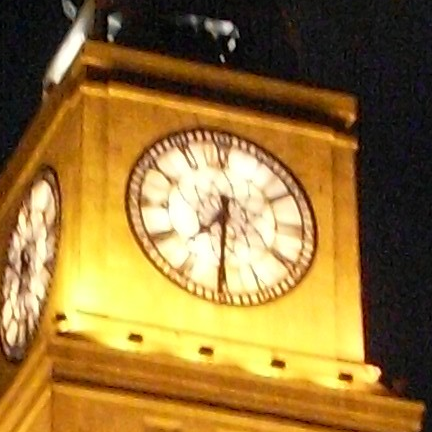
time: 7:30
